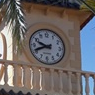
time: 9:41
